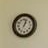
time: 1:02
